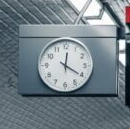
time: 12:20
